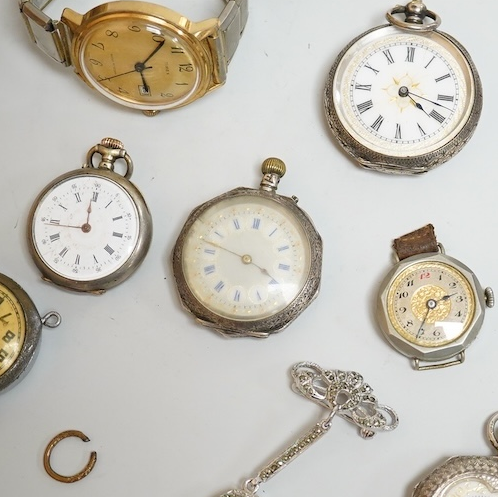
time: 3:47
